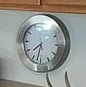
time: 7:32
